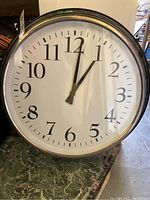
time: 1:01
